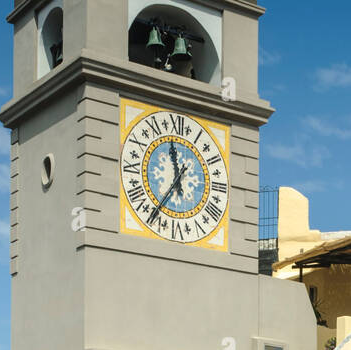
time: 11:35
